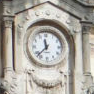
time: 11:37
